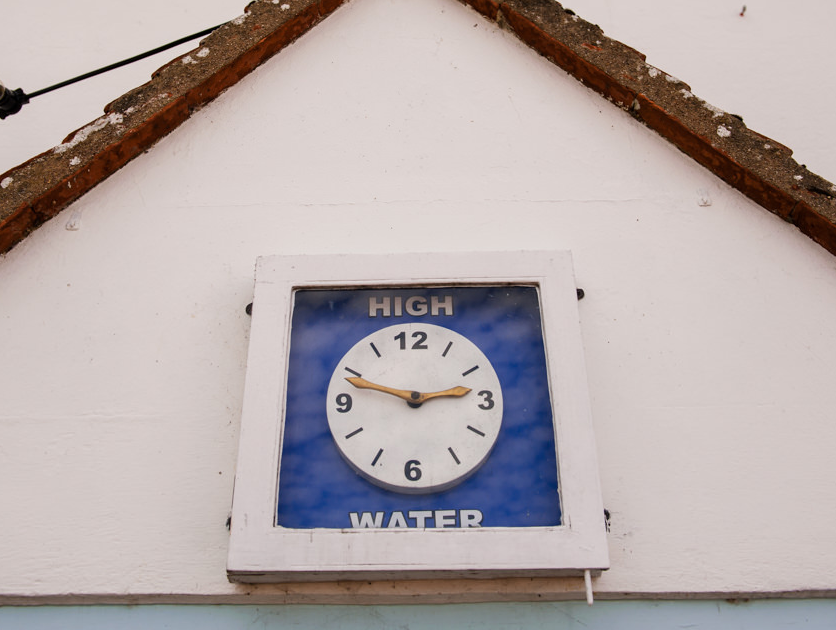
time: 2:48
